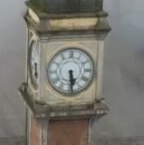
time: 5:29
